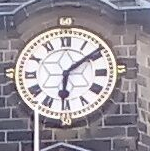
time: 6:08
